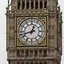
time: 12:42
